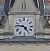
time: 4:46
